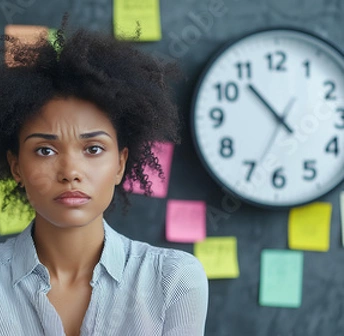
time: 10:34
